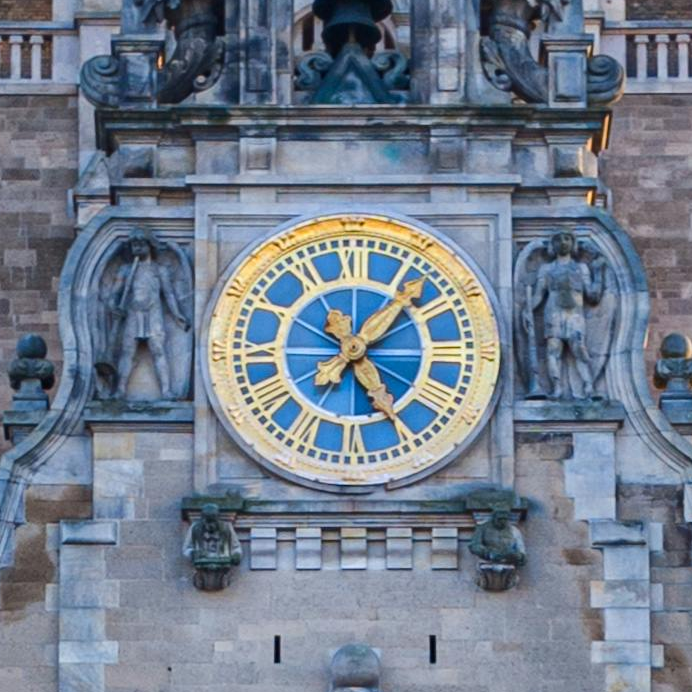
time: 5:06
